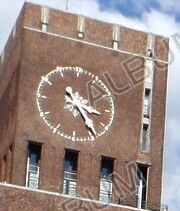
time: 3:24
